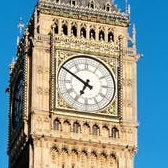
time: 6:50
